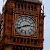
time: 2:41
